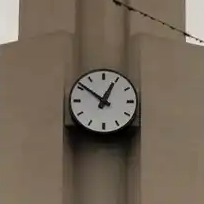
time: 12:51
